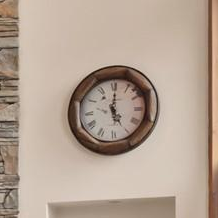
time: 5:00
